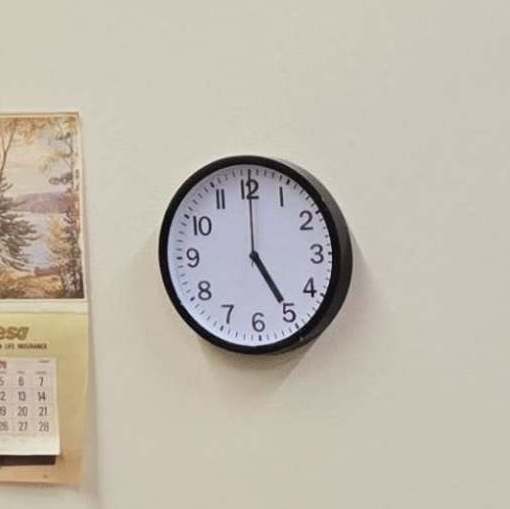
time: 5:00
